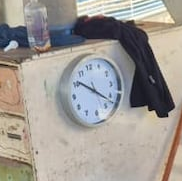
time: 10:21
